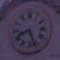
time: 8:26
